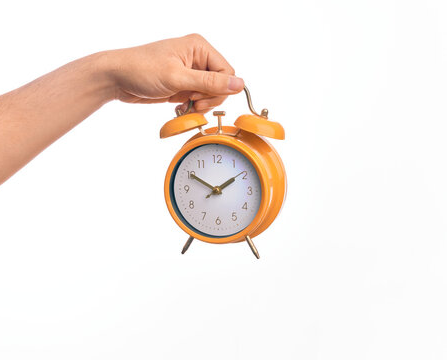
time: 1:50
